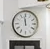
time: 11:58
